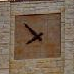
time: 7:52
